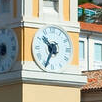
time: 10:34
